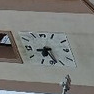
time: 8:27
